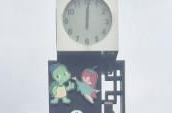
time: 12:00
